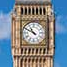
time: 10:49
